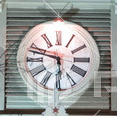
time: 5:47
